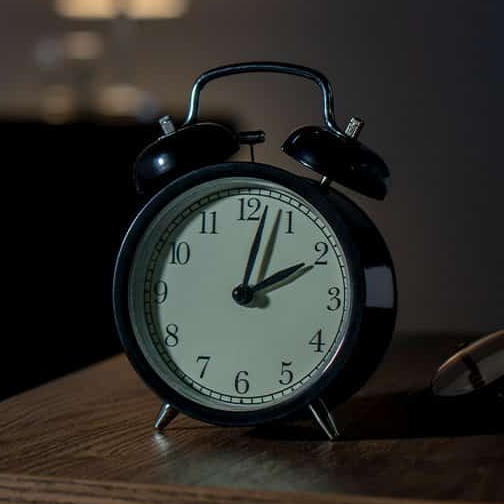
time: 2:02
